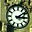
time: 3:08
